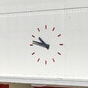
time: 10:47
